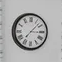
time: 3:07
